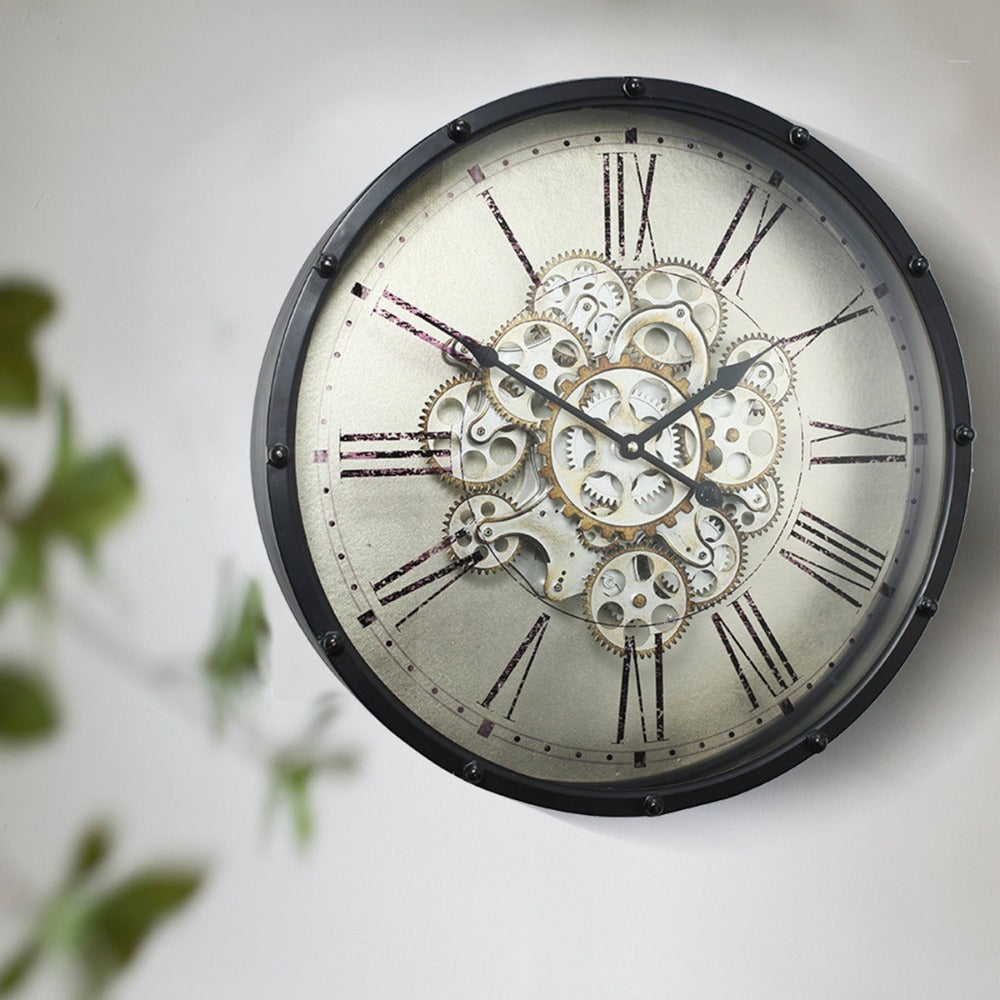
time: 1:50
